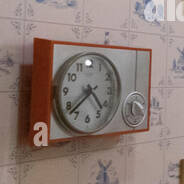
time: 4:38
